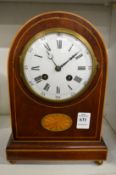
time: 11:08
